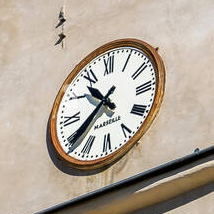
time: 10:39
